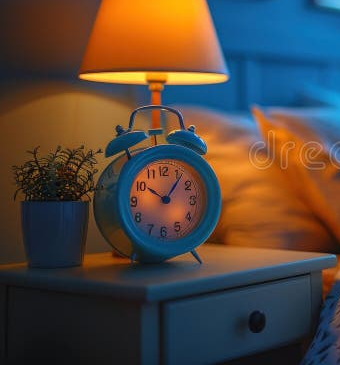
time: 10:06
